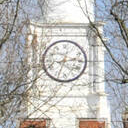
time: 12:13
